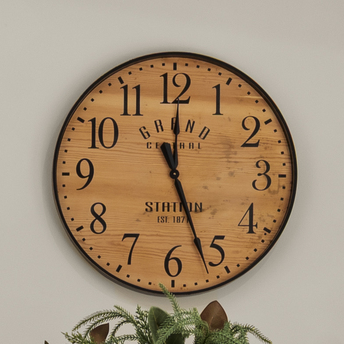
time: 12:26
